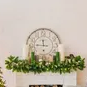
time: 11:46
